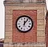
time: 12:06
